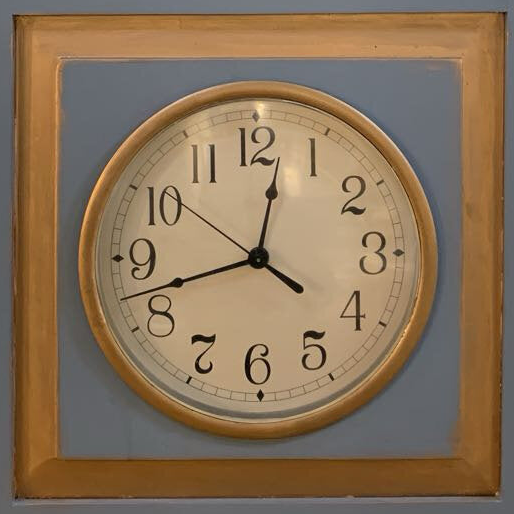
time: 12:42
